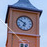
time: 6:51
